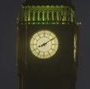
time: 8:09
